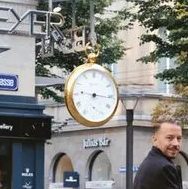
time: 9:15
